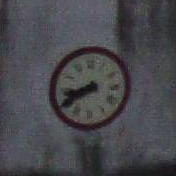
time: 8:40
